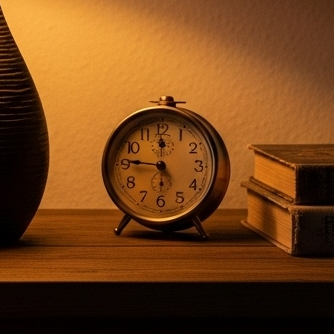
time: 5:46
